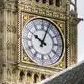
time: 10:03
